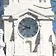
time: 9:42
